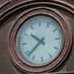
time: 10:38
